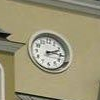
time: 2:15
